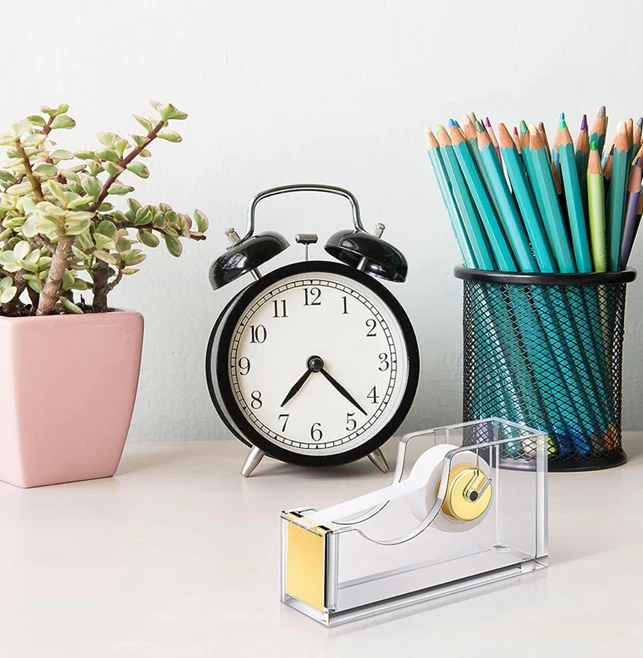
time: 7:22
